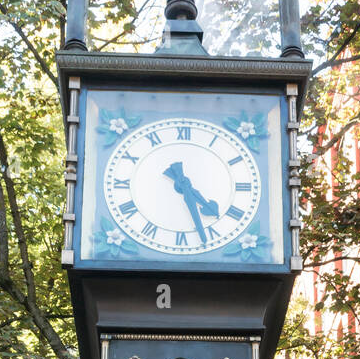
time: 4:26
